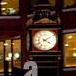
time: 4:09
